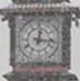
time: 12:16
